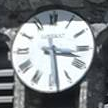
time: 3:28
